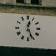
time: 12:26
